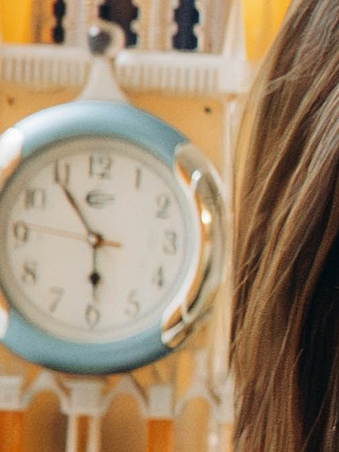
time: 5:54
